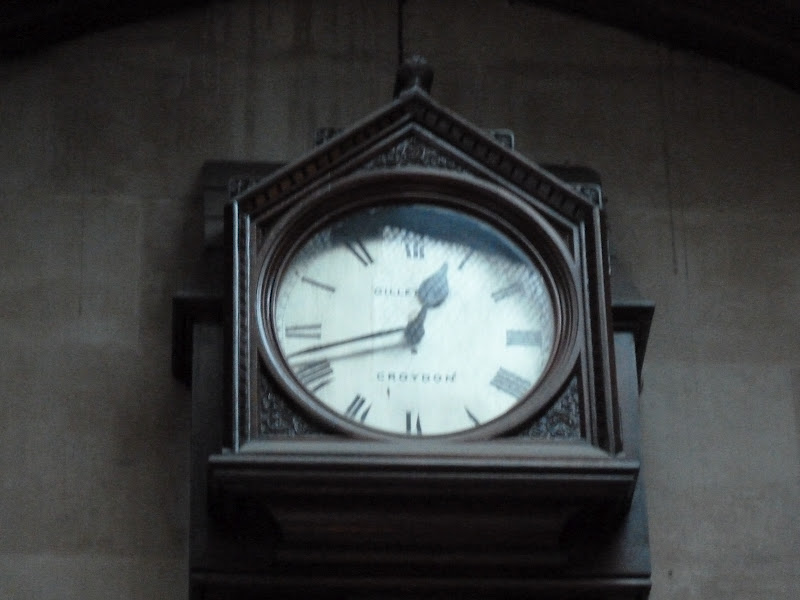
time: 12:42
